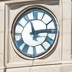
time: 2:57
